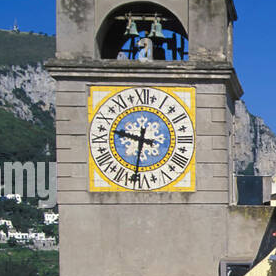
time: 9:31
